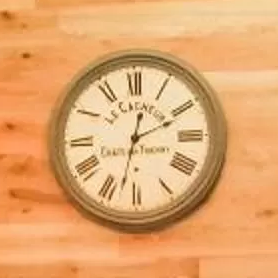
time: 12:32
